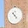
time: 4:22
